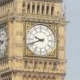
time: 9:42
